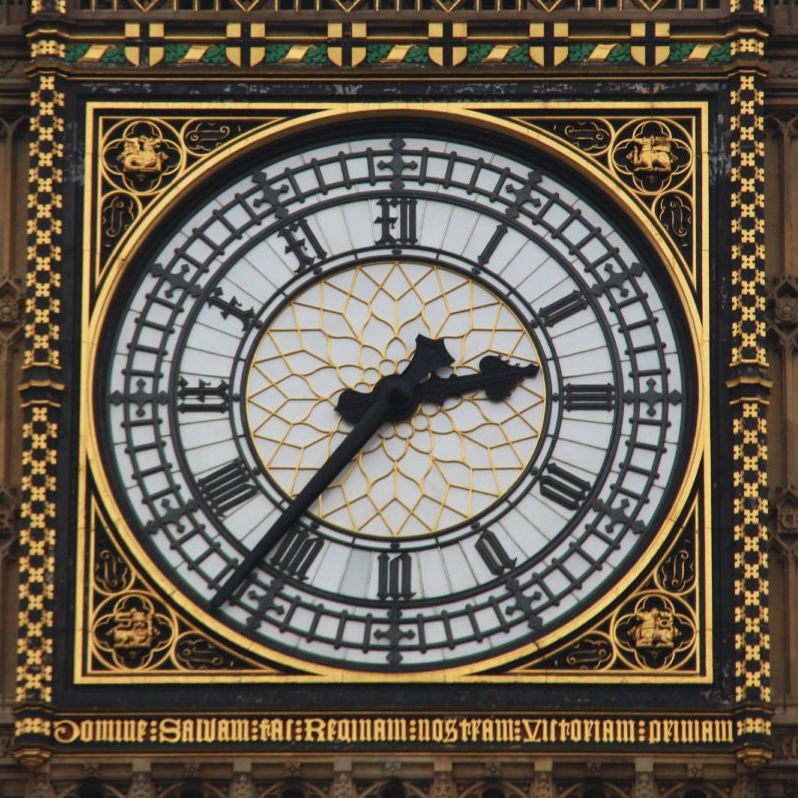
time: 2:36
